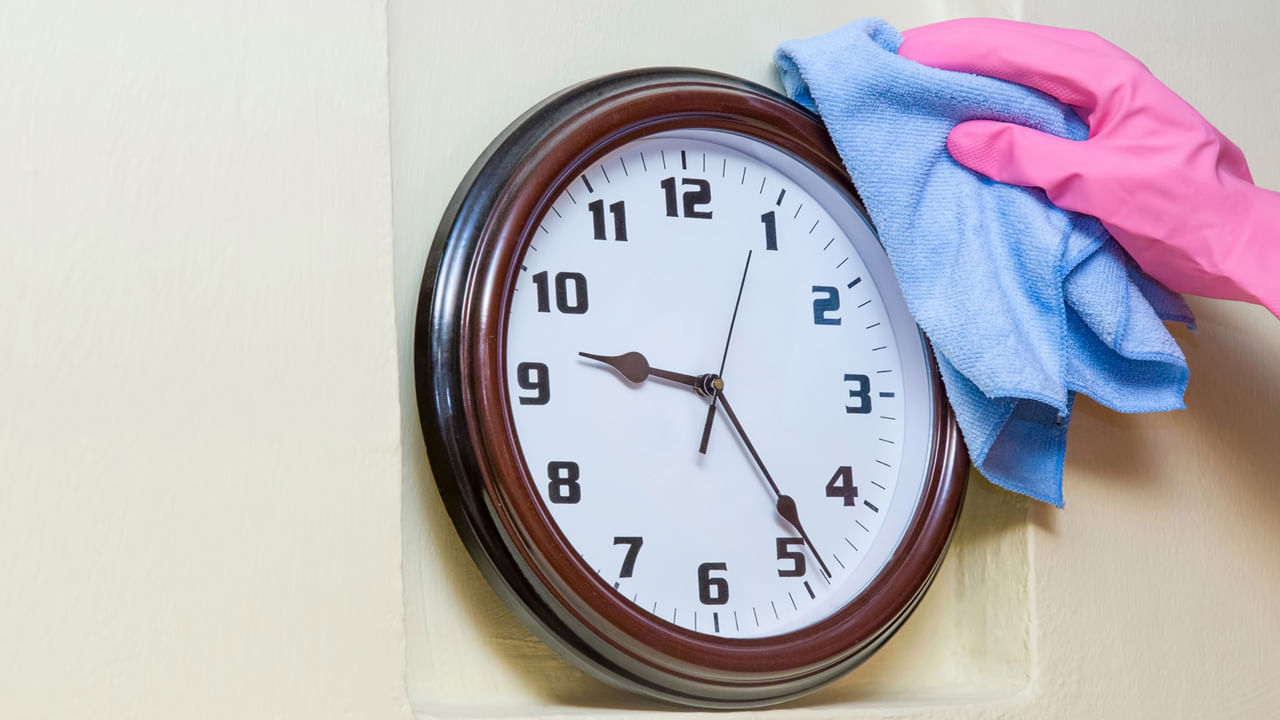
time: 9:23
